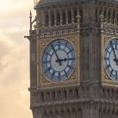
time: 2:55
